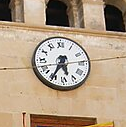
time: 5:35
